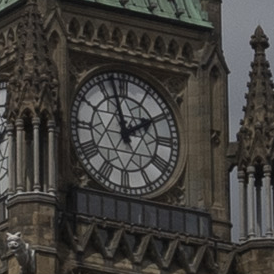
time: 1:56
